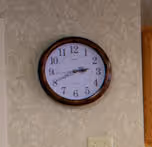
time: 2:40
